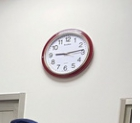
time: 9:13
